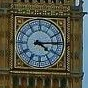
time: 4:14
